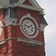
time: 1:47
